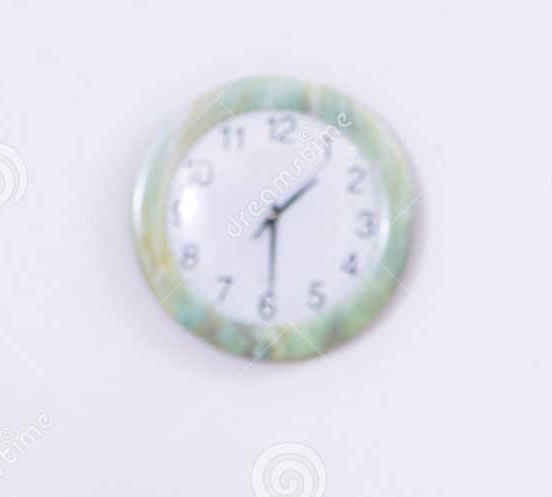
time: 1:29
